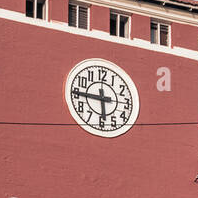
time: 5:45
